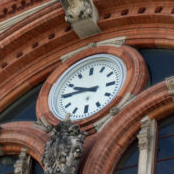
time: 9:44
